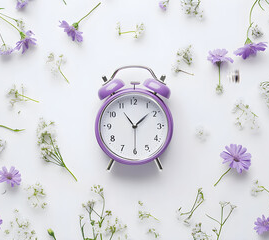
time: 1:30
